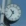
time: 10:34
